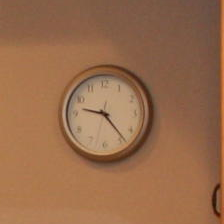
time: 9:23
